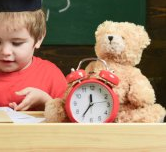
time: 11:35
